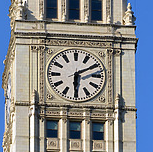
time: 6:10
